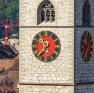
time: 10:36
